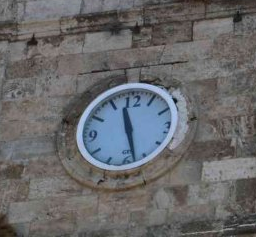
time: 11:27
